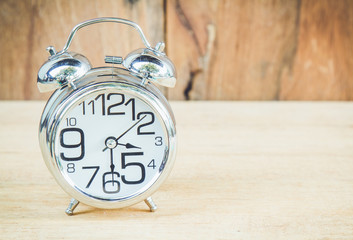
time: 3:29
